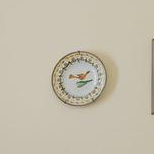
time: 1:46
